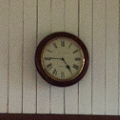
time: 4:45
